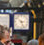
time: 5:14
